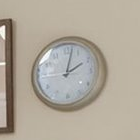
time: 2:01
